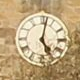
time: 5:02
